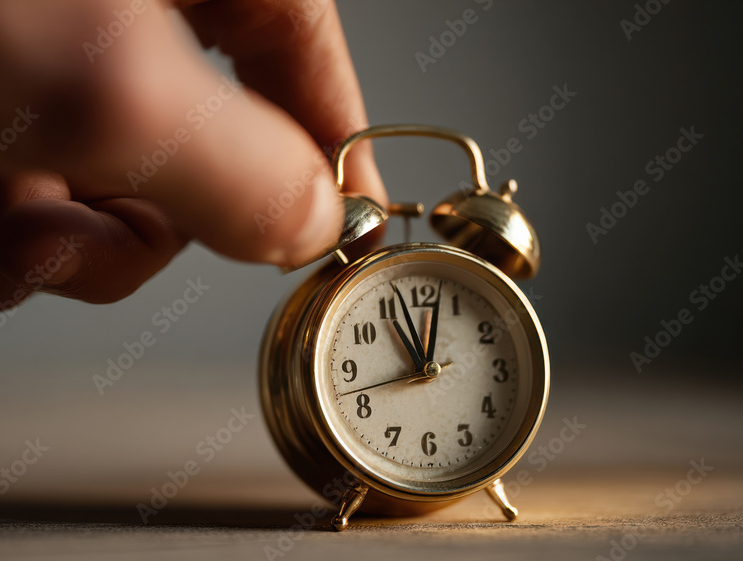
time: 11:02
